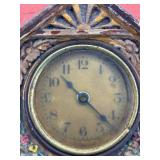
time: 10:22
